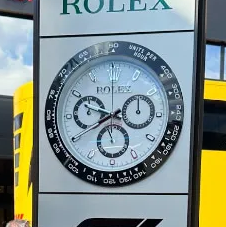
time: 9:40
